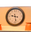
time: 9:28
